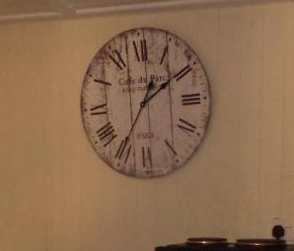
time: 1:09
